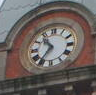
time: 10:36
